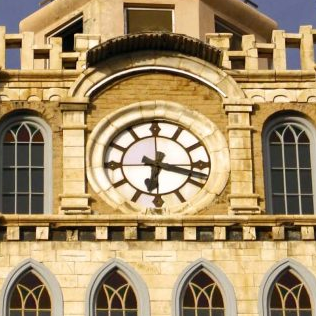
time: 6:17
